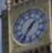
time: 1:36
